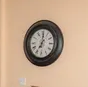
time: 7:00
